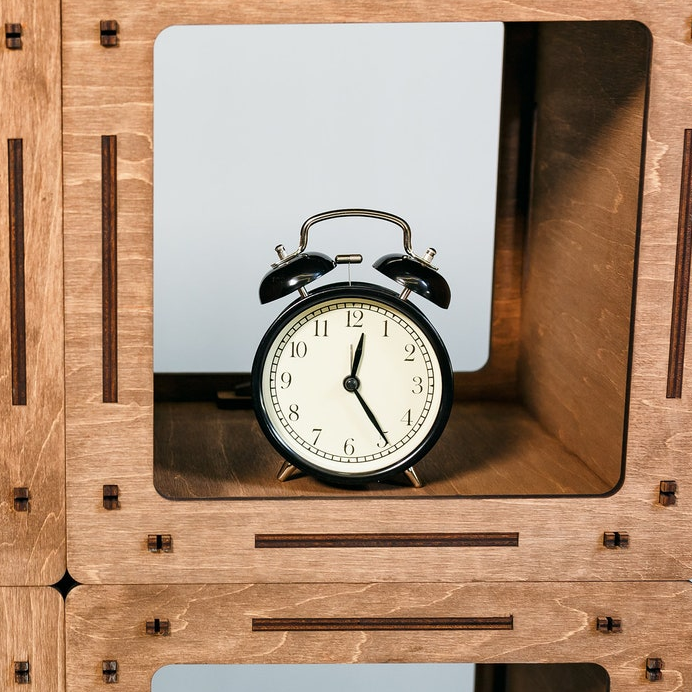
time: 12:24
